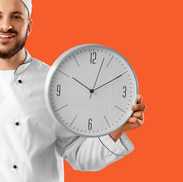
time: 10:03
